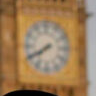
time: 7:40
